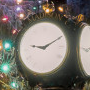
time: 9:10
